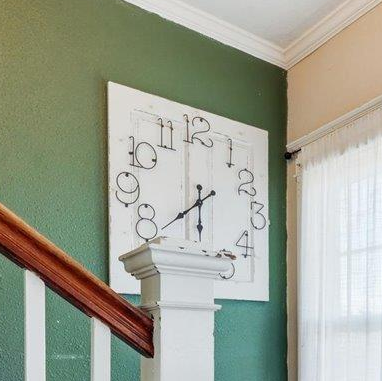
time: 5:38
